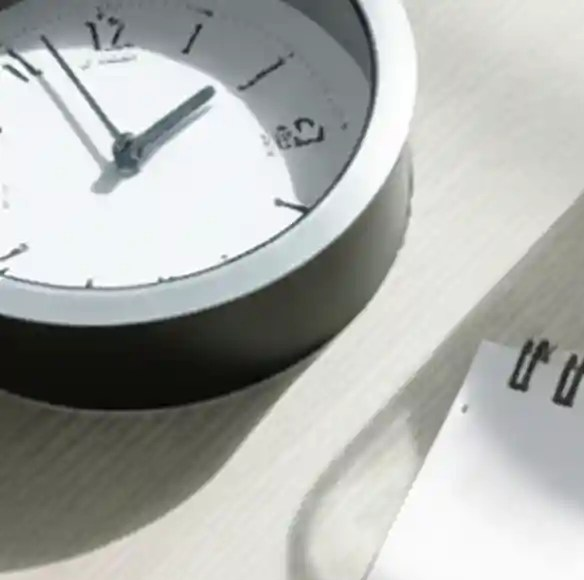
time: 1:56
